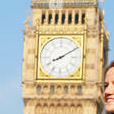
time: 8:09
